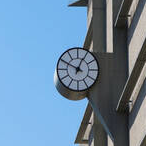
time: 12:49
